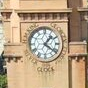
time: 1:21
